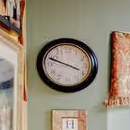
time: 3:48
